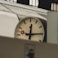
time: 12:14
